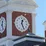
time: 12:26
